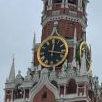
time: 12:16
